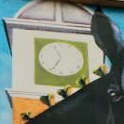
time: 6:56
